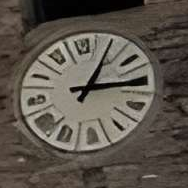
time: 3:05
